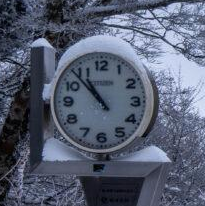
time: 10:52
